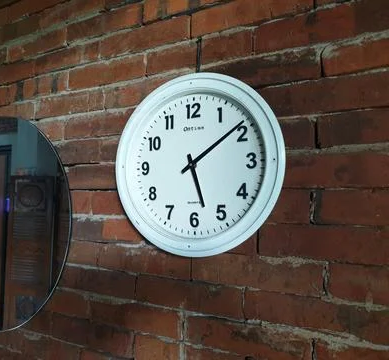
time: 5:08
